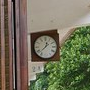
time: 12:37
